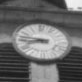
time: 8:46
